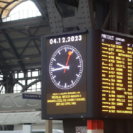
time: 9:44
